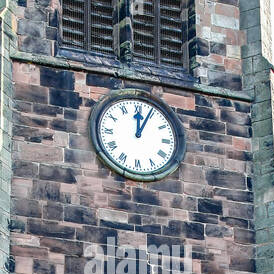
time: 12:04
